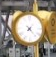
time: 7:23
